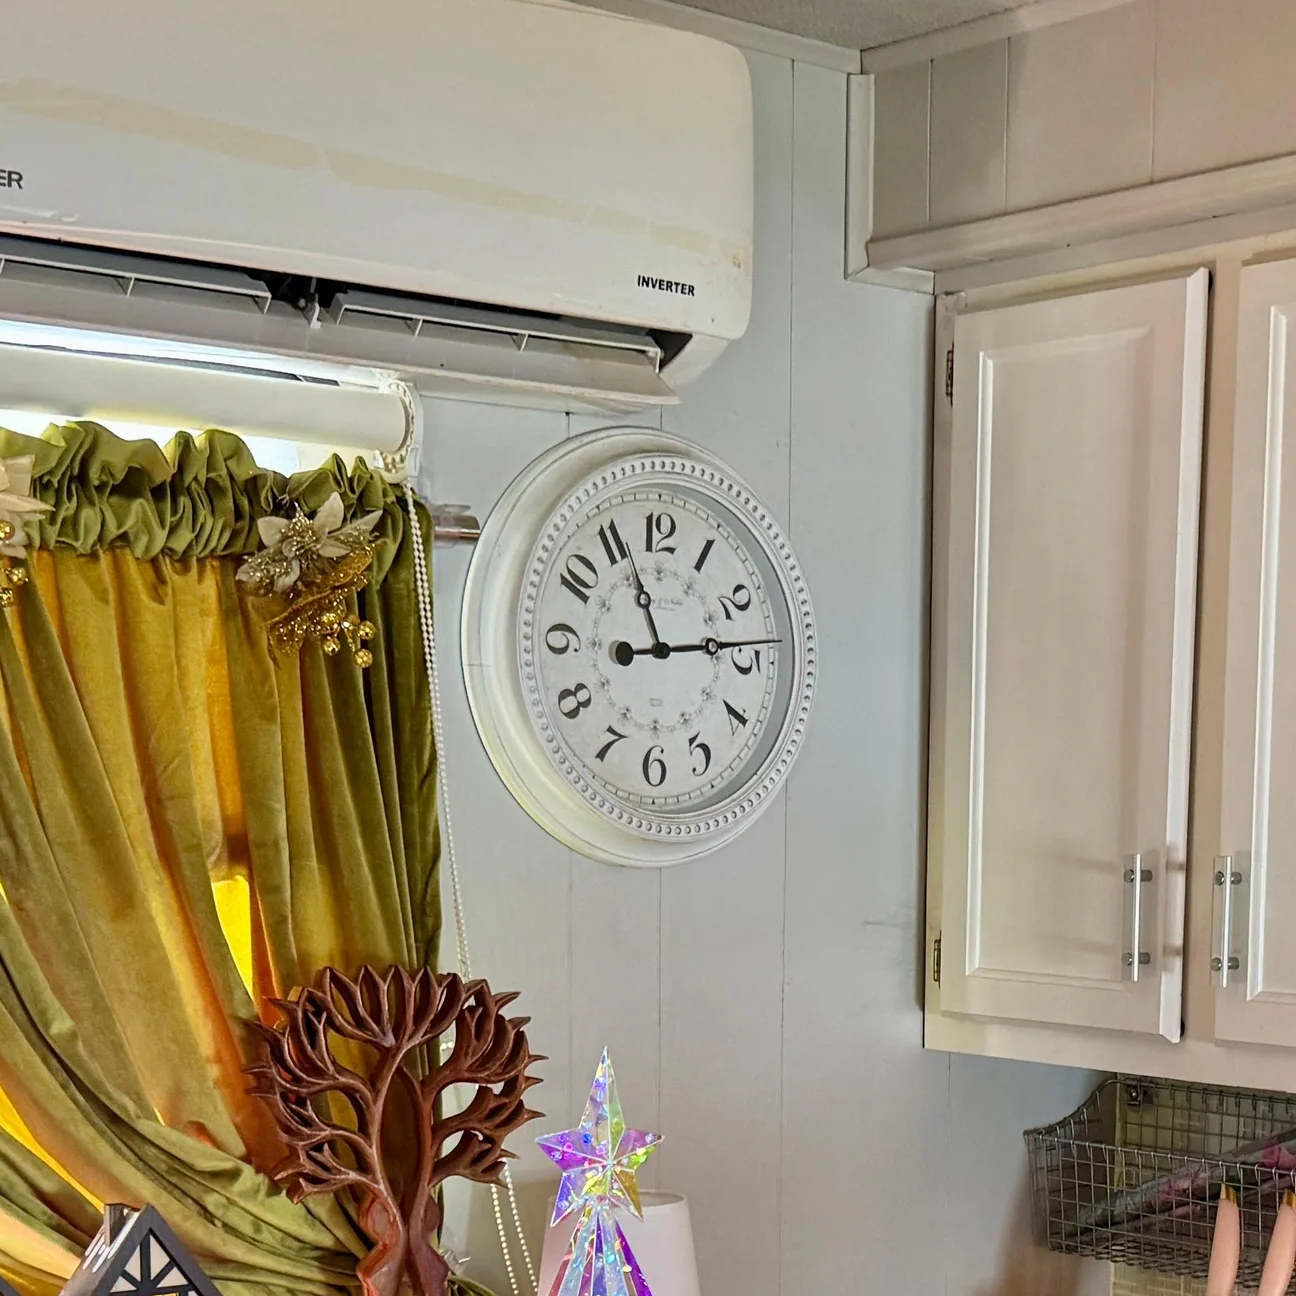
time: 11:13
